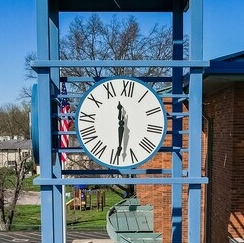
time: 11:29
